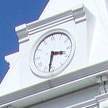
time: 3:32
